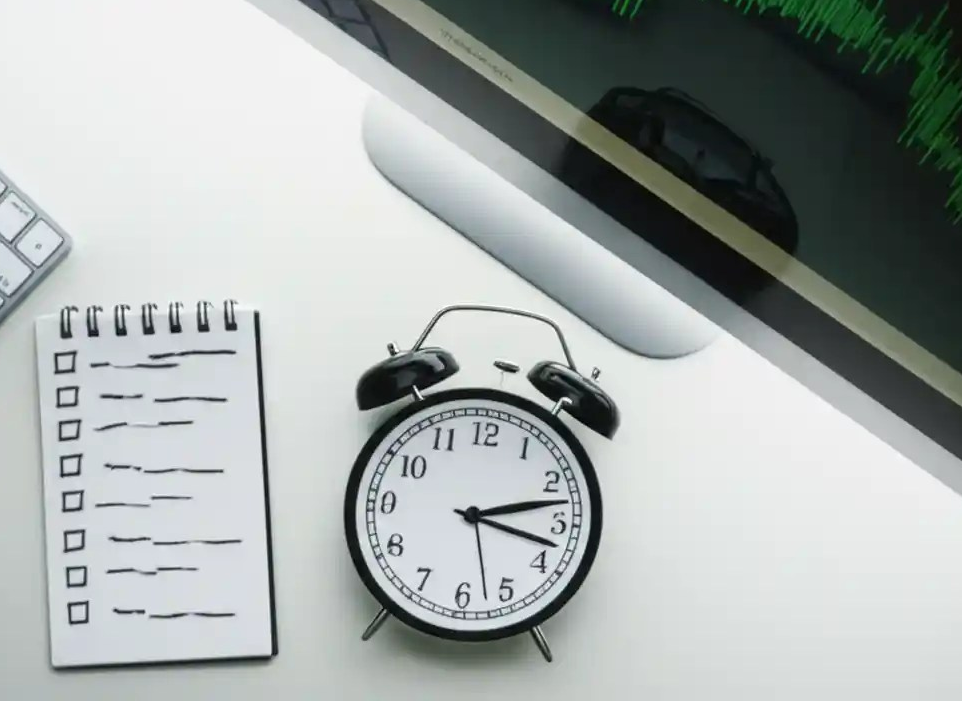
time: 3:12
